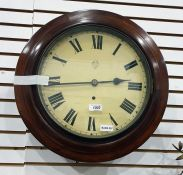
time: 2:43
